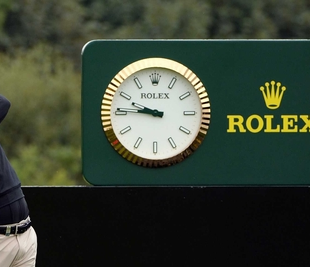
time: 9:45
